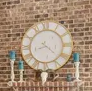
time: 8:21
